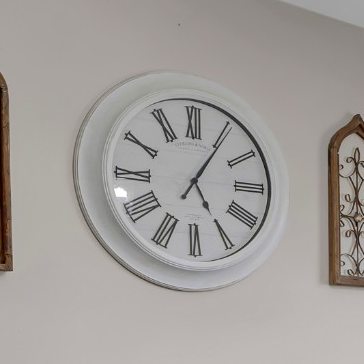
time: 5:05
